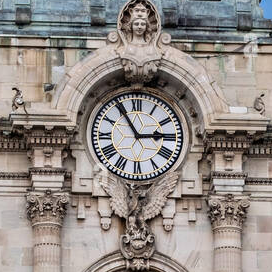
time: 2:54
